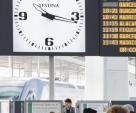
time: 3:16
